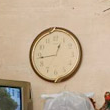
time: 12:43
